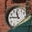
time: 11:46
